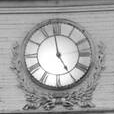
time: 4:58
